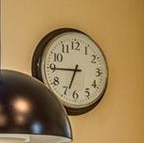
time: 6:44
